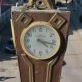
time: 4:17
